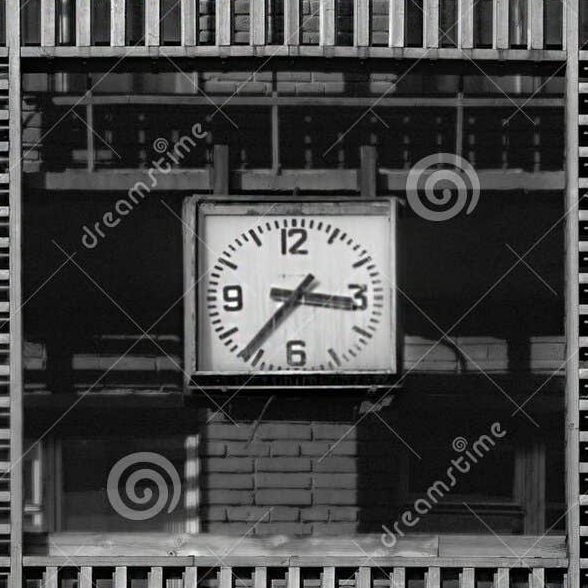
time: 7:16
